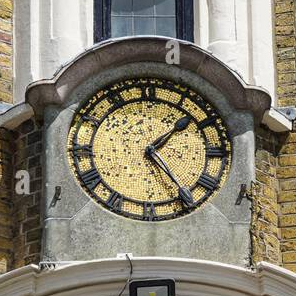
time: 1:23
